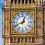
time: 12:41
